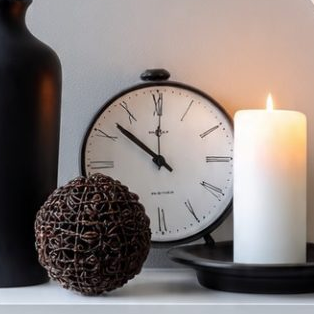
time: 10:00
